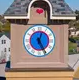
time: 12:25
